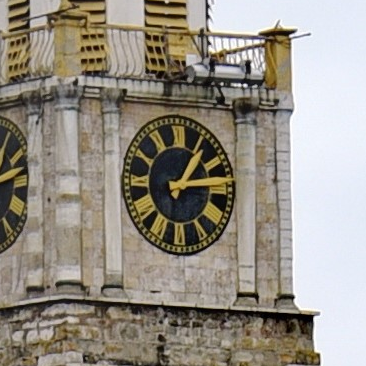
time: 1:13
